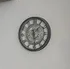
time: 1:29
